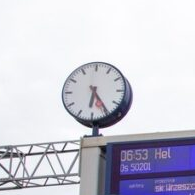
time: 6:24
